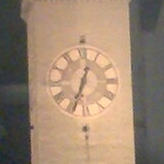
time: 12:33
